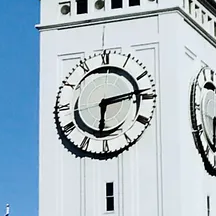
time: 6:13
